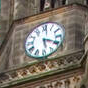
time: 5:19
